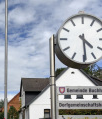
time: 4:29
